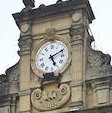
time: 5:11
